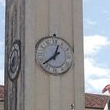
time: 12:38
